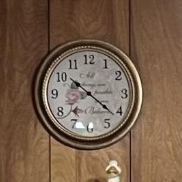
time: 10:21
